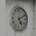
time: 5:10
